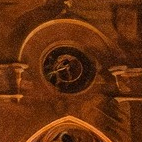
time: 5:41
